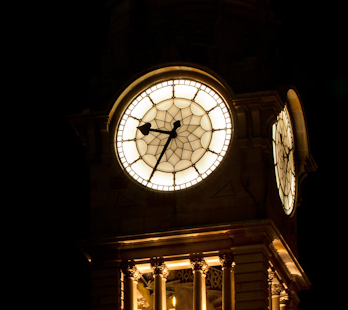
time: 9:34
